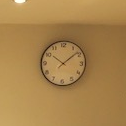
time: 10:08
